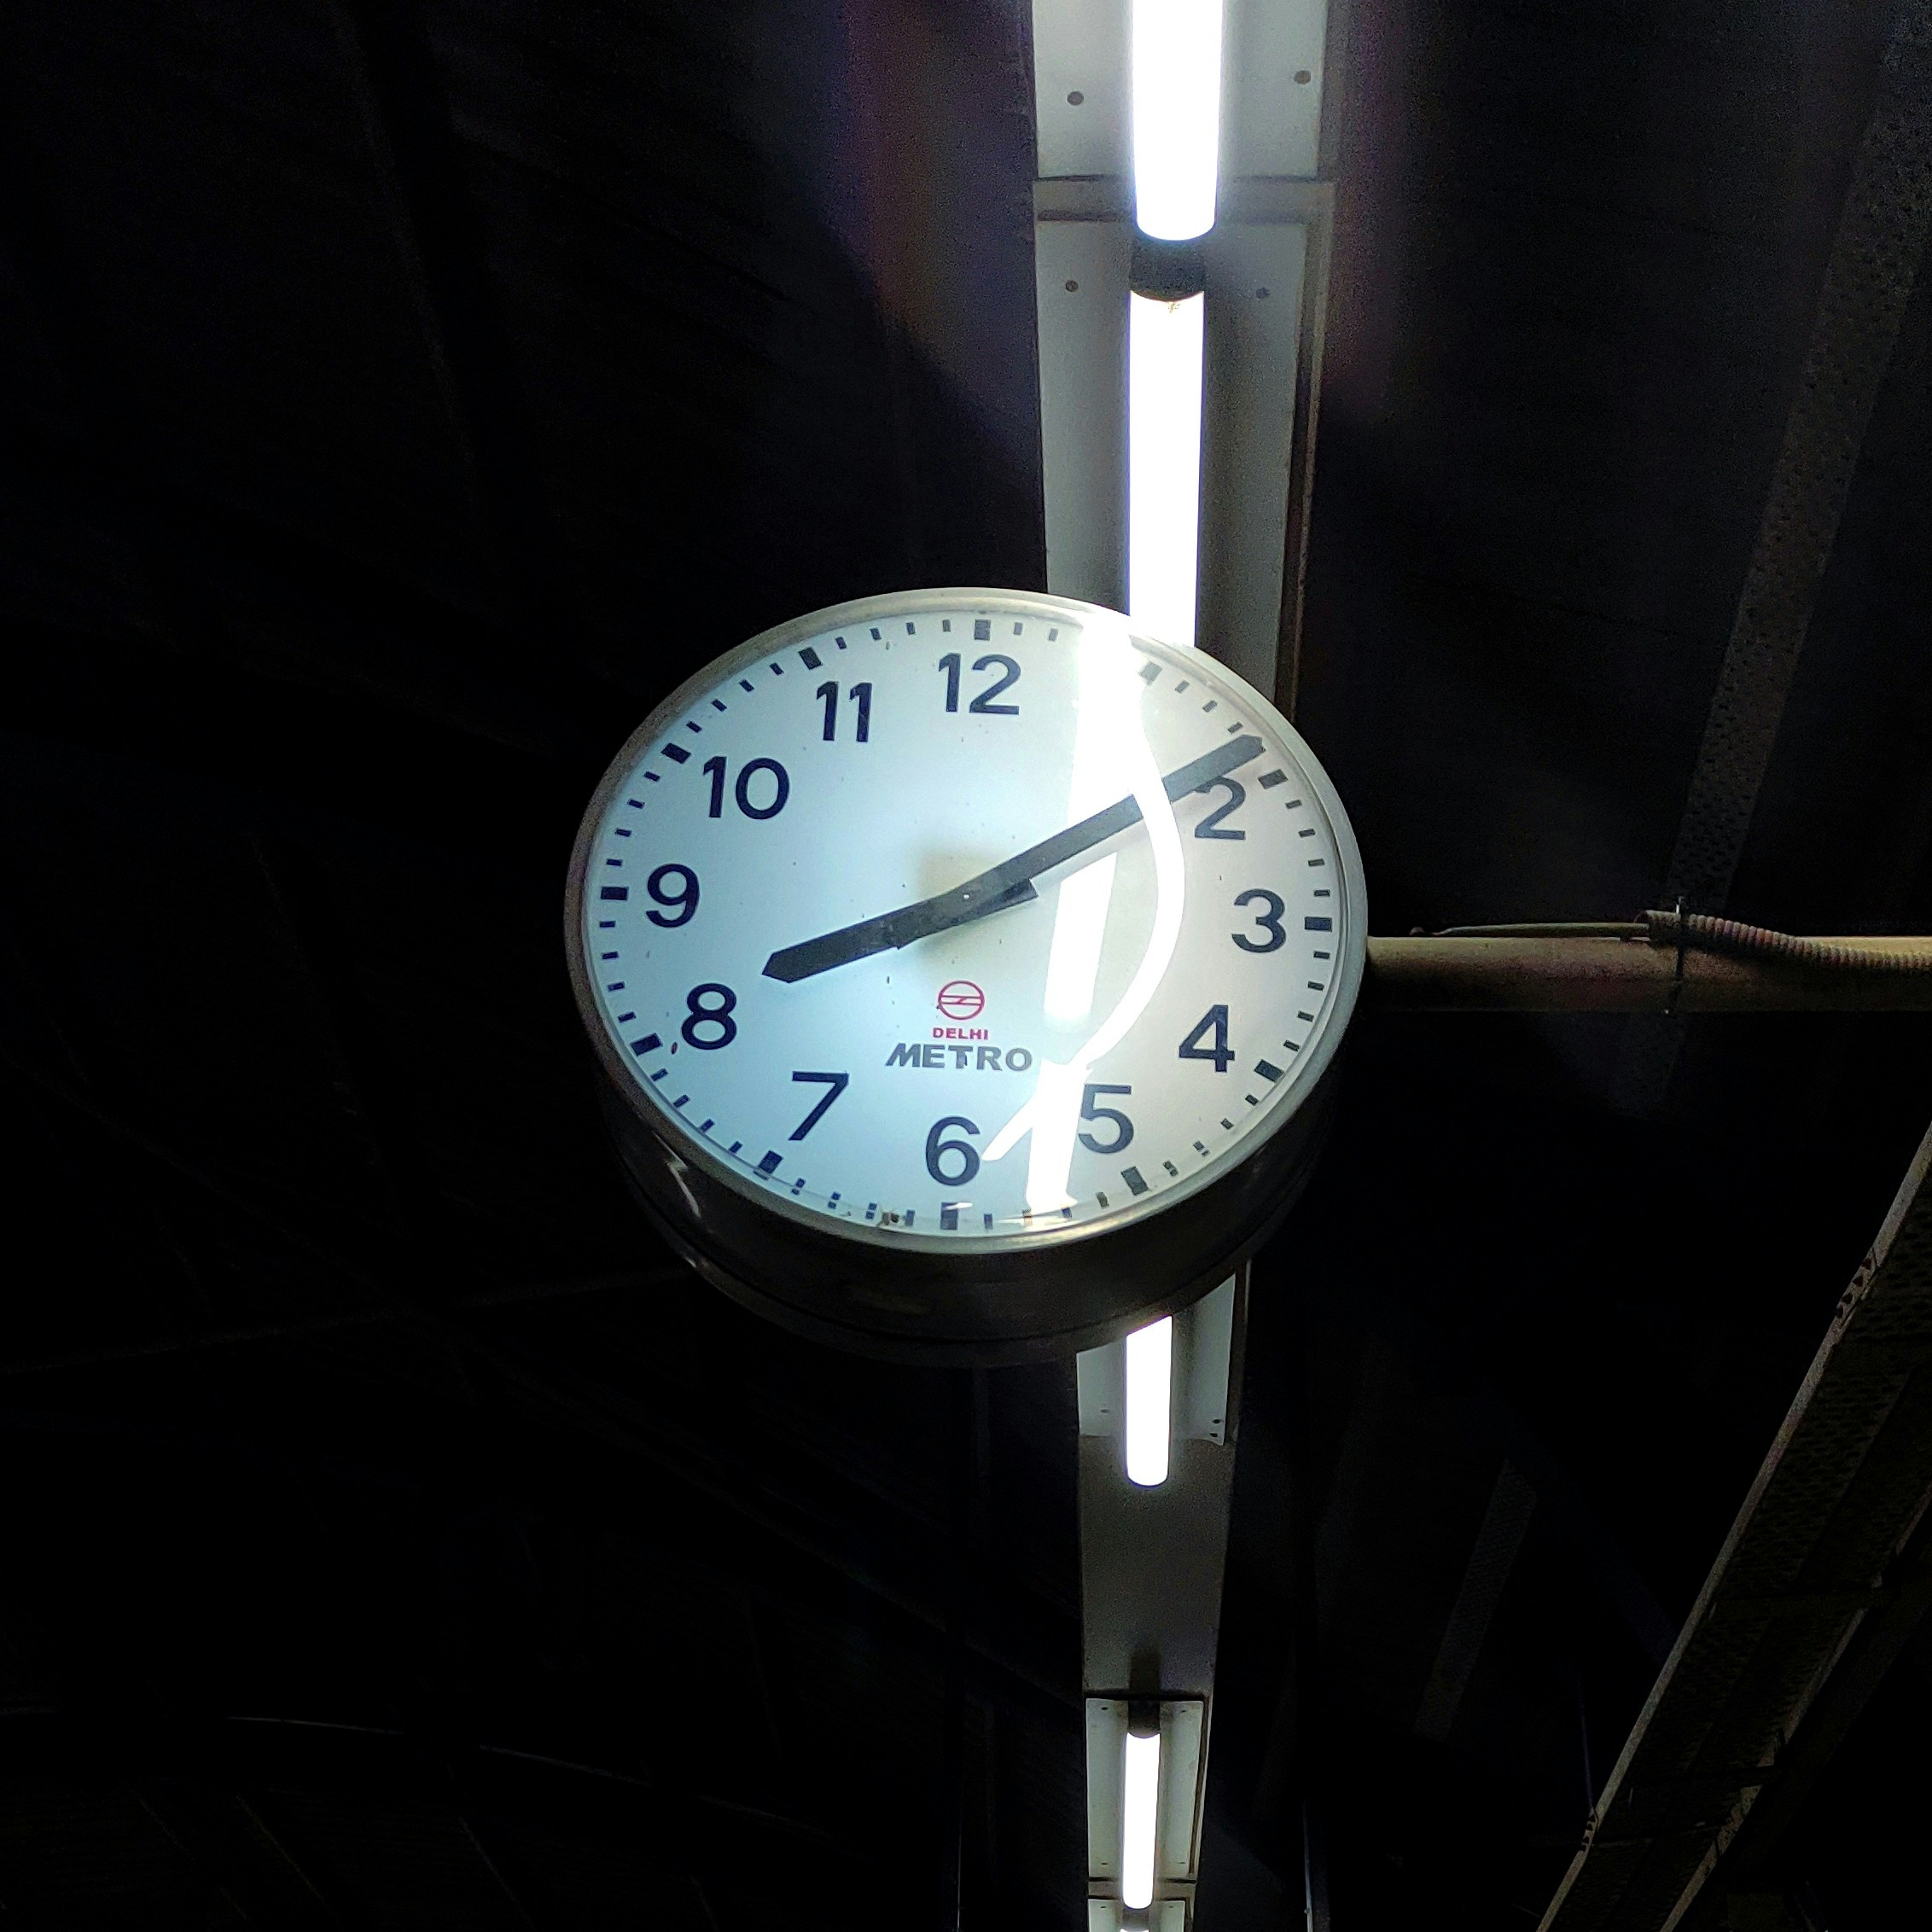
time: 8:09
